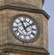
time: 11:08
